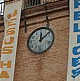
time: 12:07
